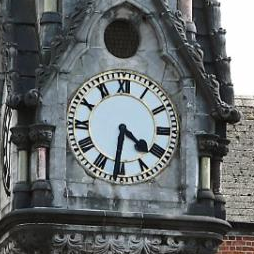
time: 4:31
